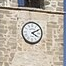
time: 4:10
